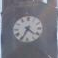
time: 4:34
